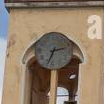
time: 2:33
